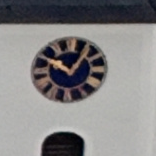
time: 12:49
